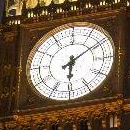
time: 6:08
